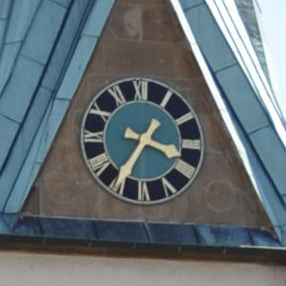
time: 3:35
